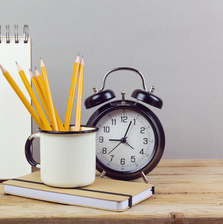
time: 9:03
